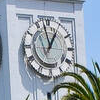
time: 12:58
